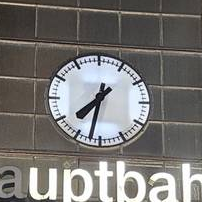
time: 7:32
